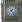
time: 1:23
